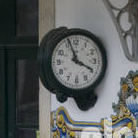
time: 3:56
